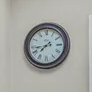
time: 7:43
